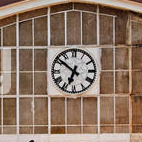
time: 6:51
